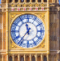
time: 11:36
